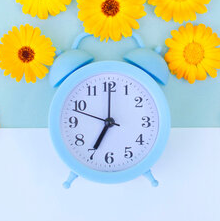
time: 7:00
